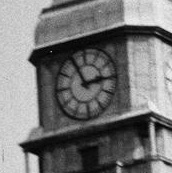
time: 2:56
